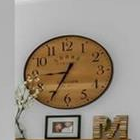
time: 8:34
